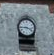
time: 3:44
